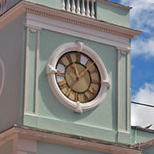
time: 11:07
